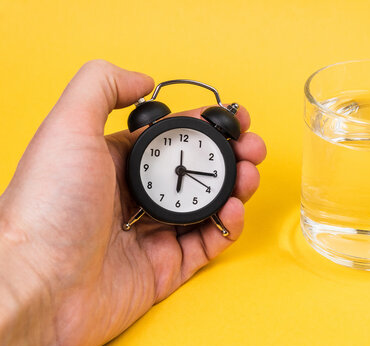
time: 6:15
